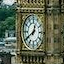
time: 12:39
